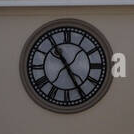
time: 4:54
